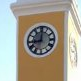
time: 9:01
